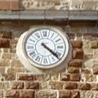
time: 4:22
